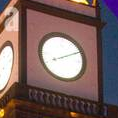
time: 8:10
